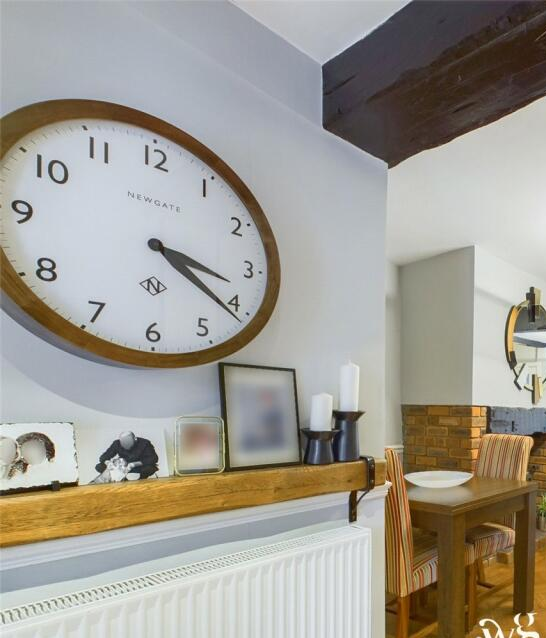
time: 3:21
